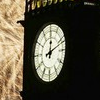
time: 12:11
